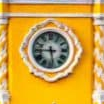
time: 5:45
